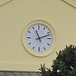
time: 11:11
